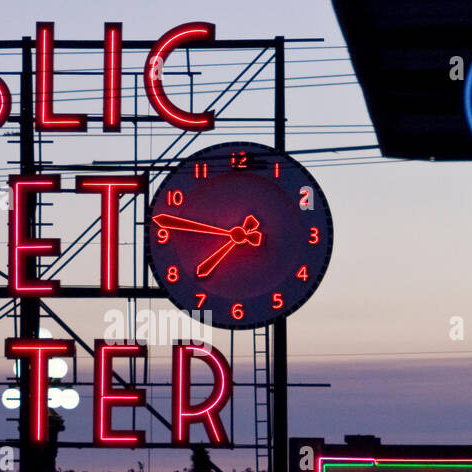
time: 7:46
